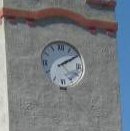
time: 2:10
